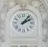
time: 2:06
